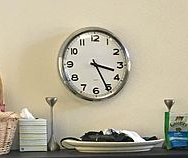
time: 3:25
